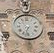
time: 6:32
